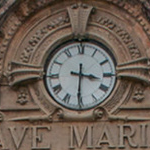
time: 3:30
